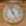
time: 4:57
